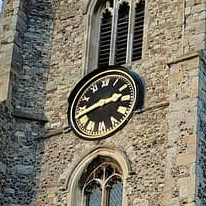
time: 2:42
